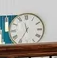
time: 11:35
